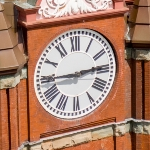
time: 2:44
